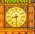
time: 8:29
